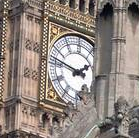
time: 1:47
